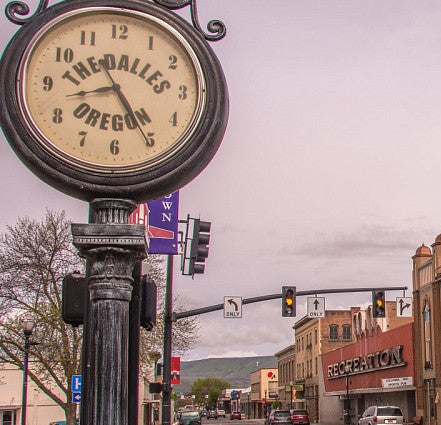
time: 8:25
